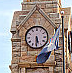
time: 5:30
